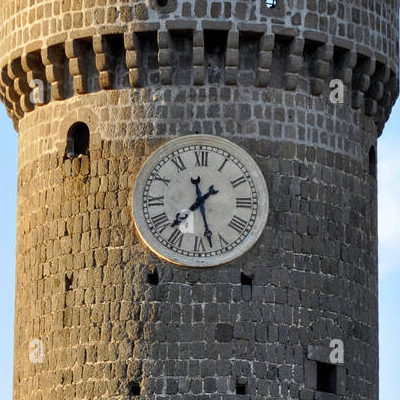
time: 7:27
